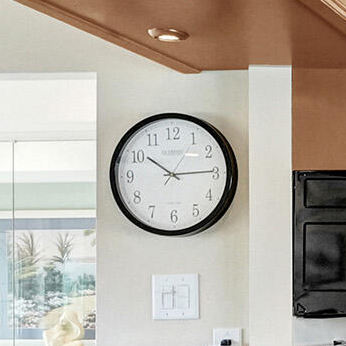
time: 10:14
